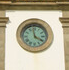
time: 3:58
